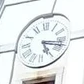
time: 5:17
